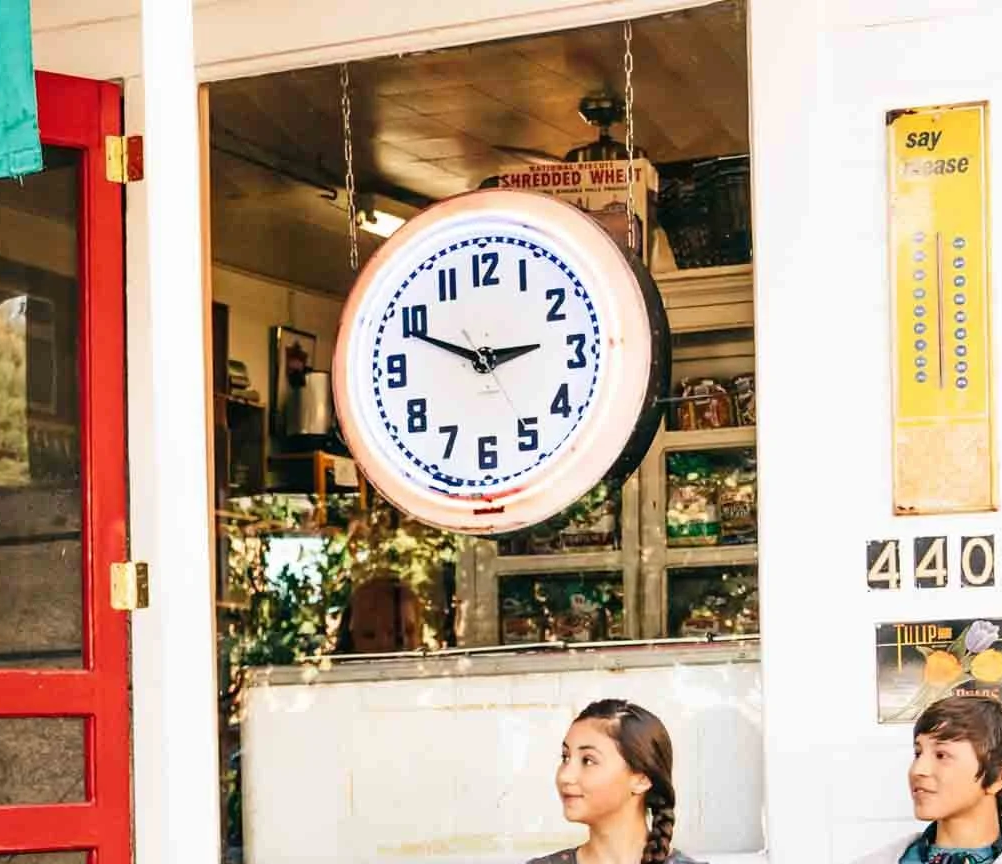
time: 2:48
